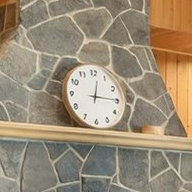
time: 12:14
